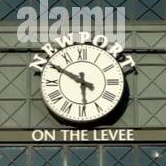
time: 5:49
